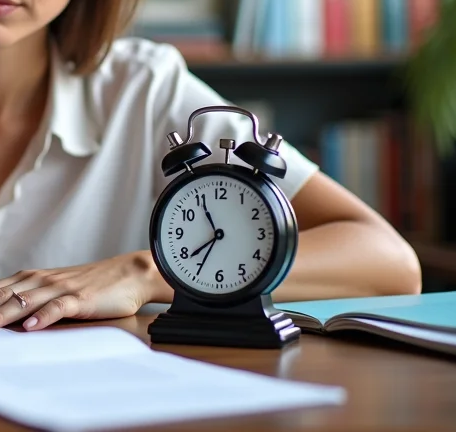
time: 7:55
